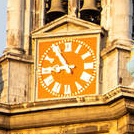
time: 8:54
